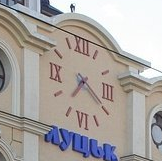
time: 7:20
